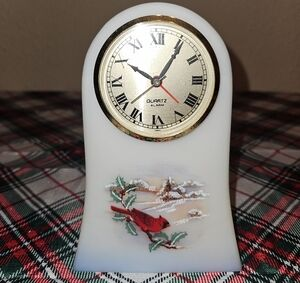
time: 10:05
